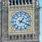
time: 1:18
